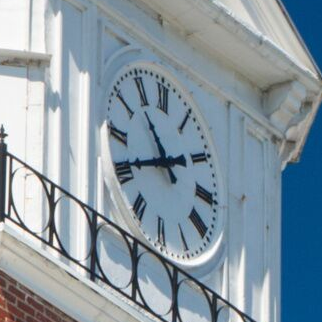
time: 10:40
